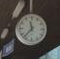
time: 11:36
